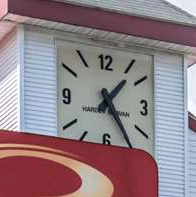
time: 1:24
